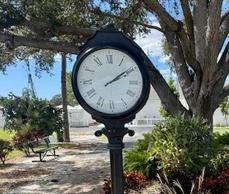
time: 2:09
